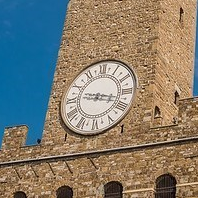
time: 9:17
